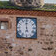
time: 5:59
